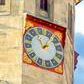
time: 11:07
